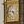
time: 4:46
